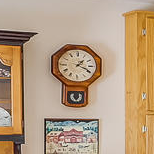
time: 1:19
